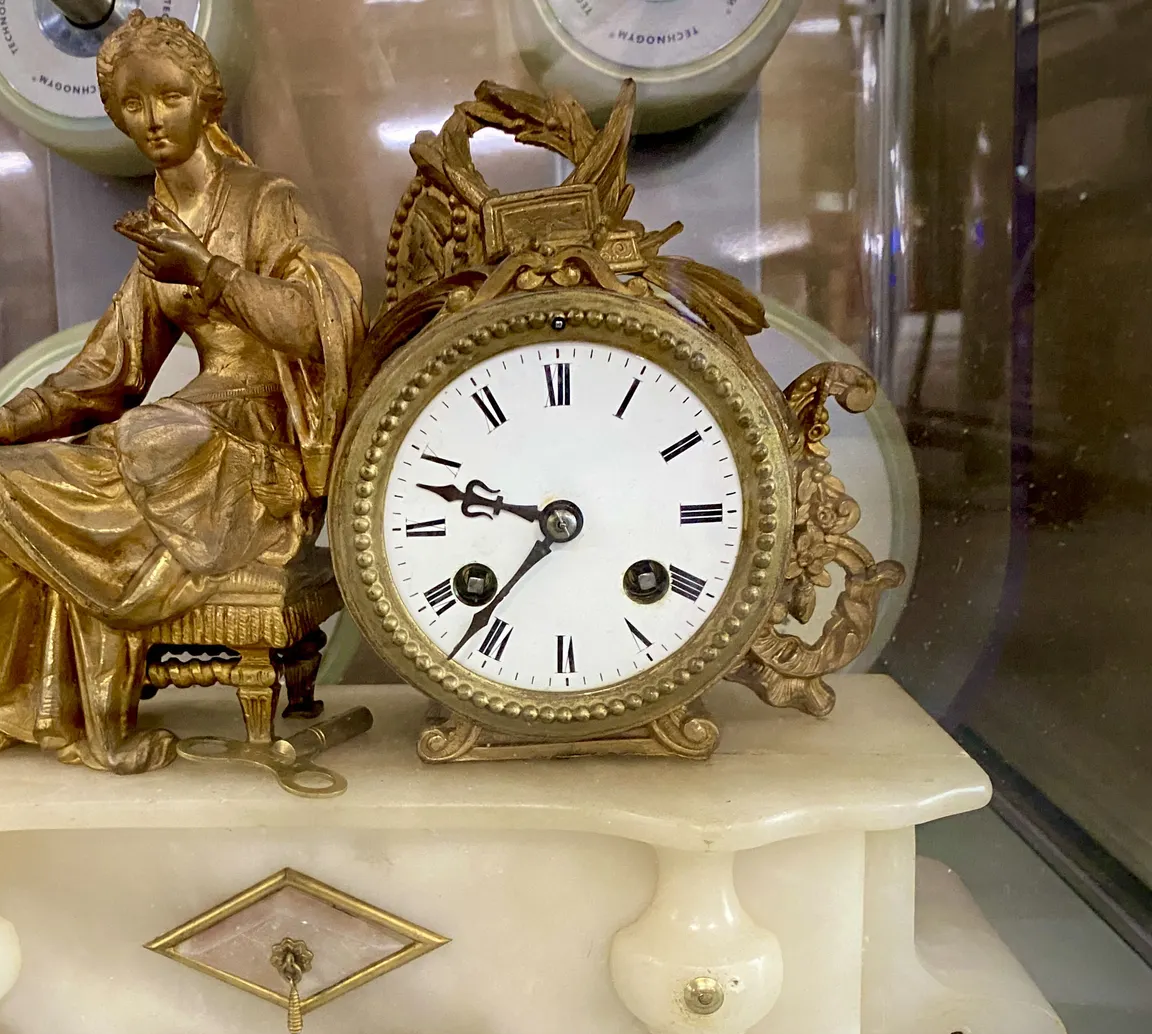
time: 9:36
